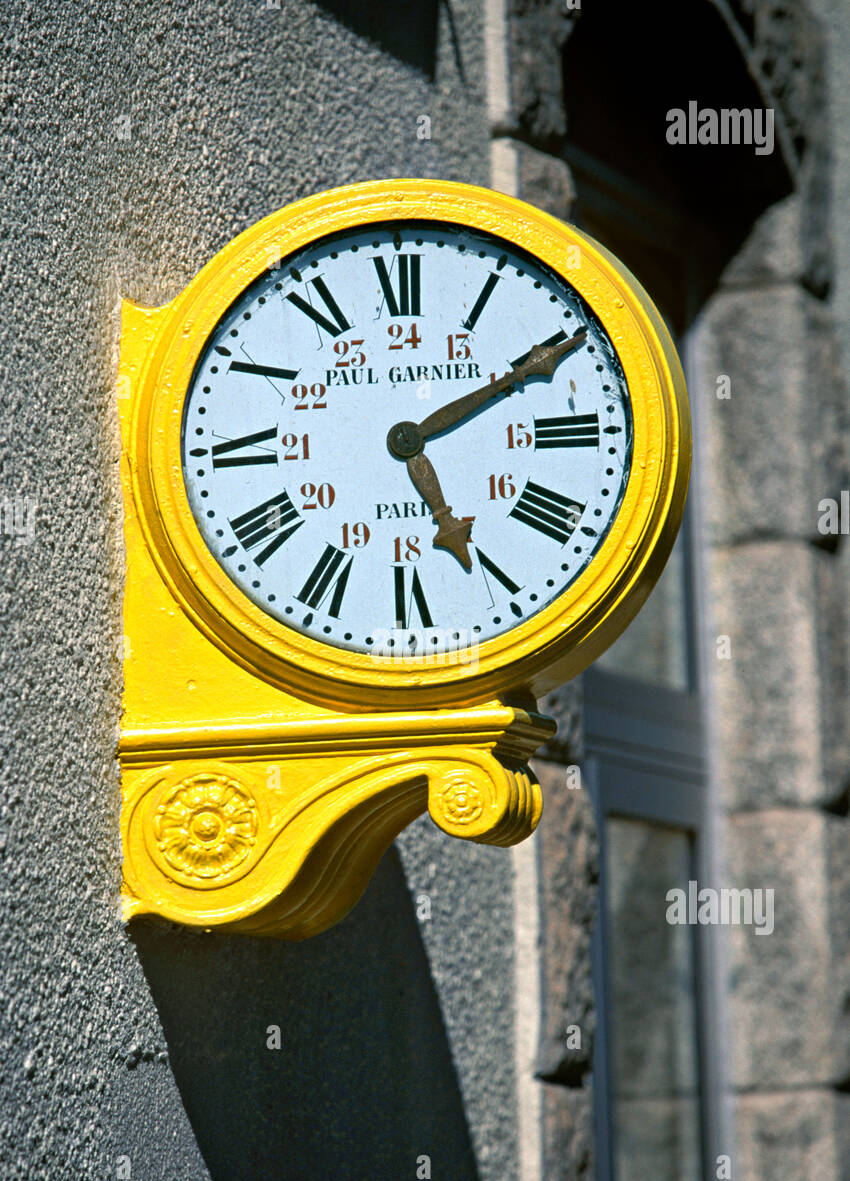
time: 5:10
